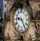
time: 9:25
